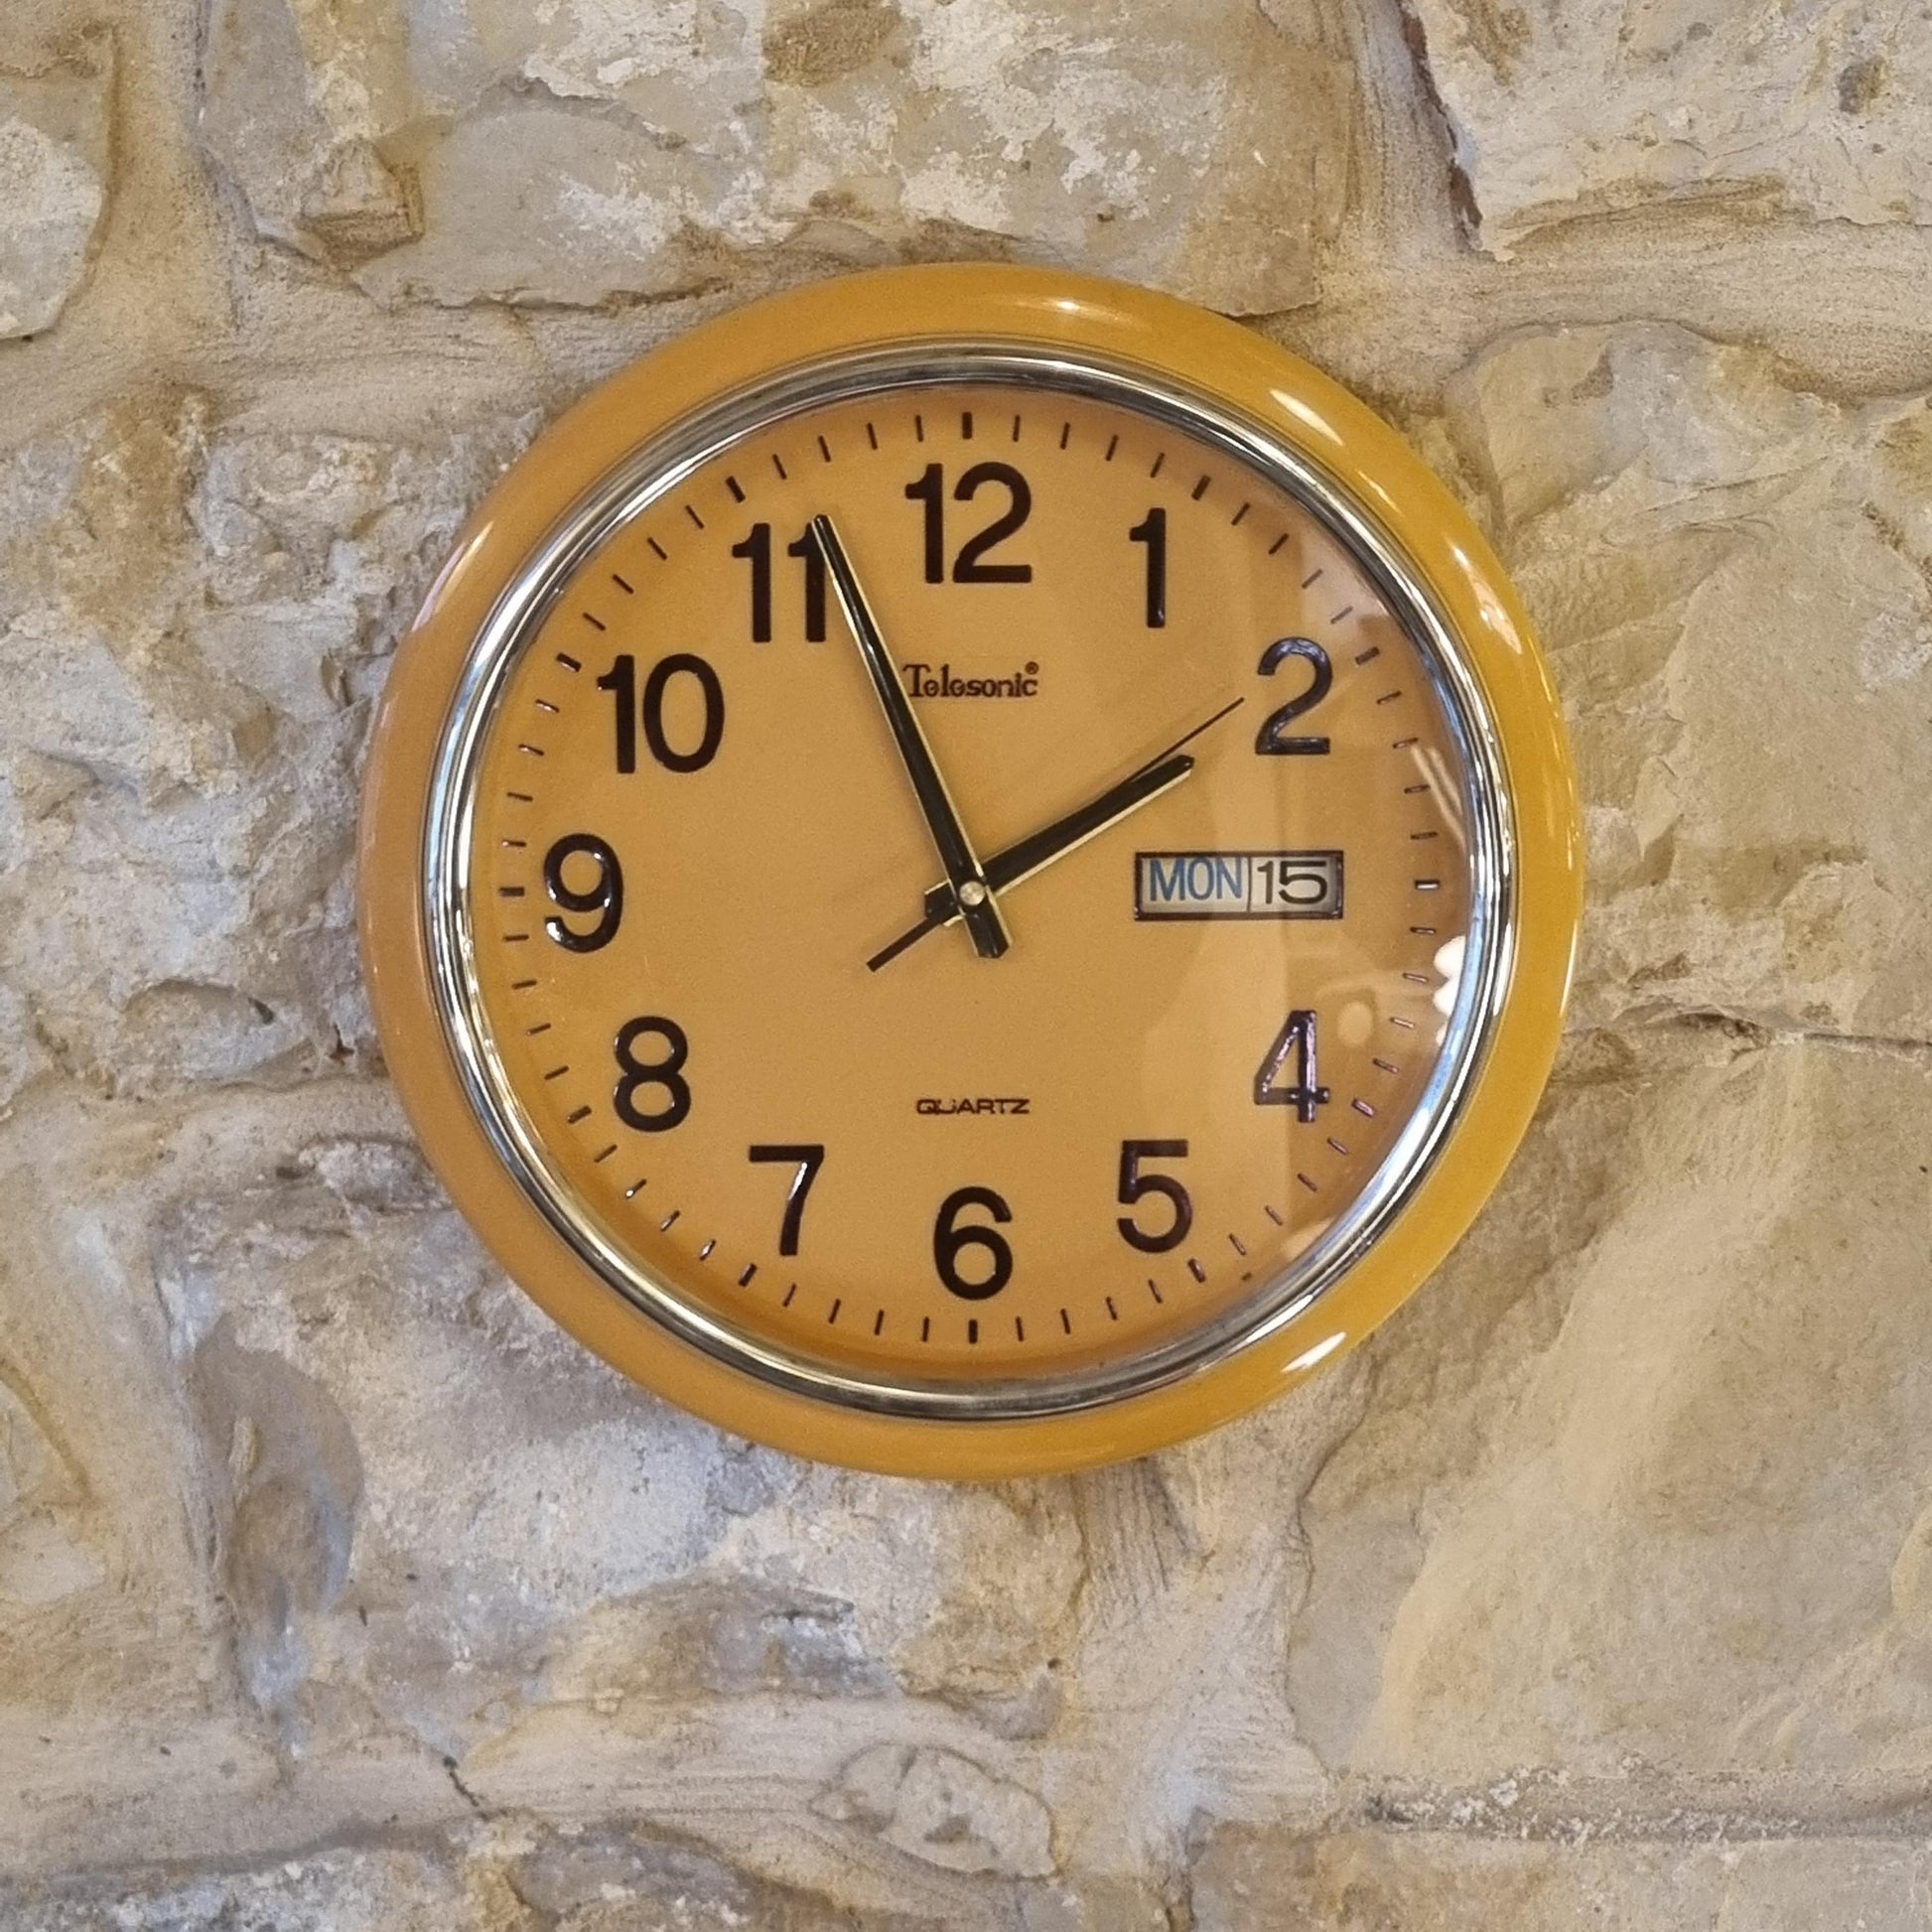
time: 1:56
